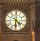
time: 4:31
